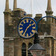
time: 1:35
